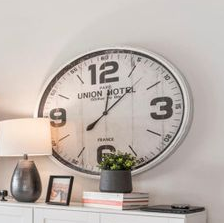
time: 12:07
